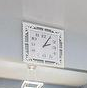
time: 2:05
